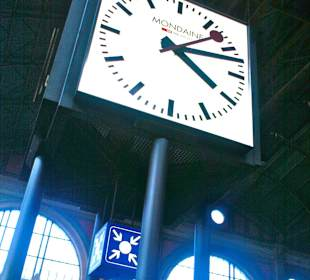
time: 4:07
